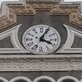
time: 4:04
